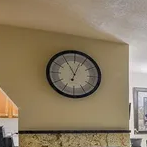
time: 11:03
